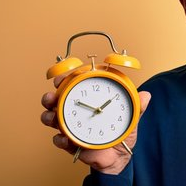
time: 1:50
